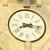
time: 8:16
